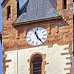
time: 11:24
